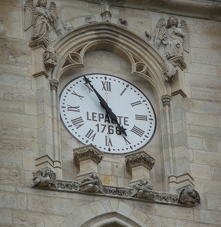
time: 4:54
